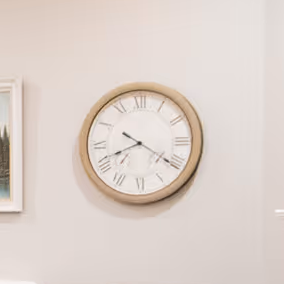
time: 8:20
